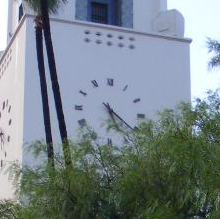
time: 5:21
